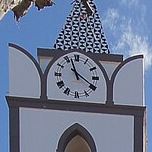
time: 11:20
